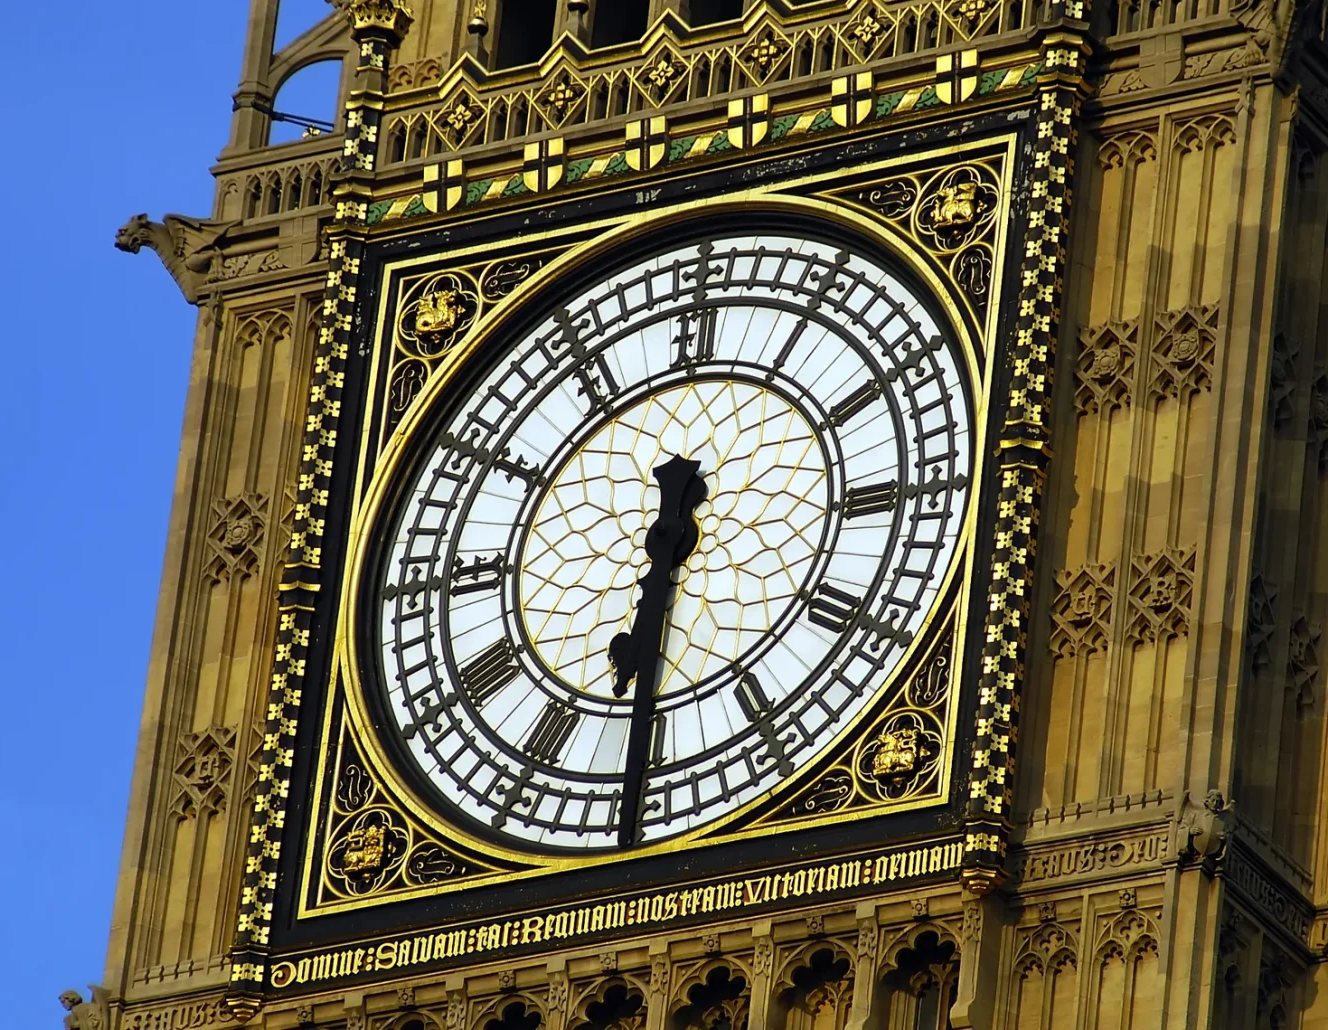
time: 6:30
